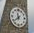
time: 11:38
